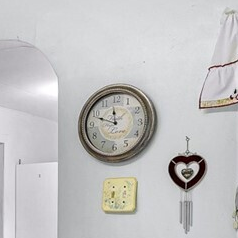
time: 11:48
